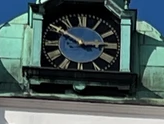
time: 2:50
